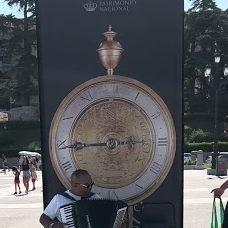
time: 11:45
